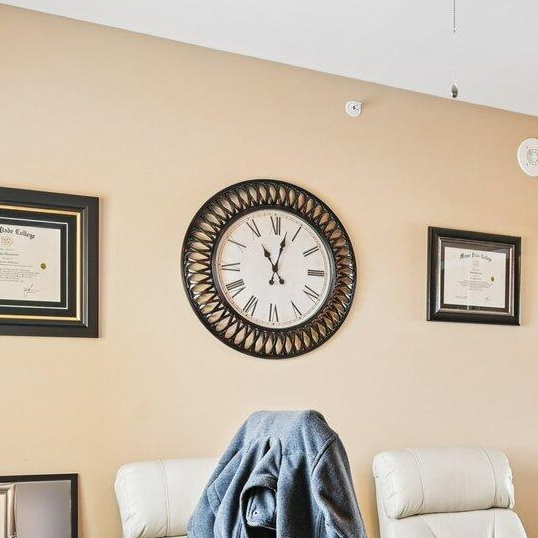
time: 11:02
